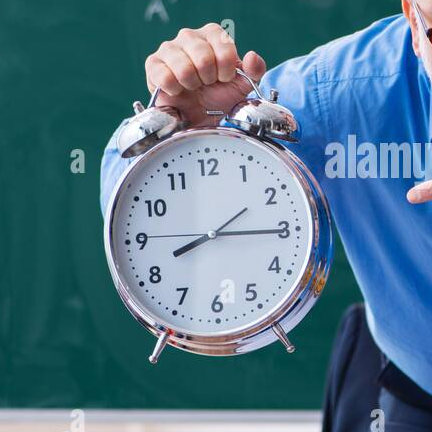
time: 8:15
